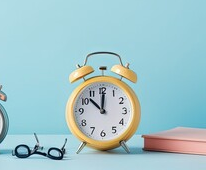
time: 11:52
